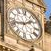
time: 1:42
